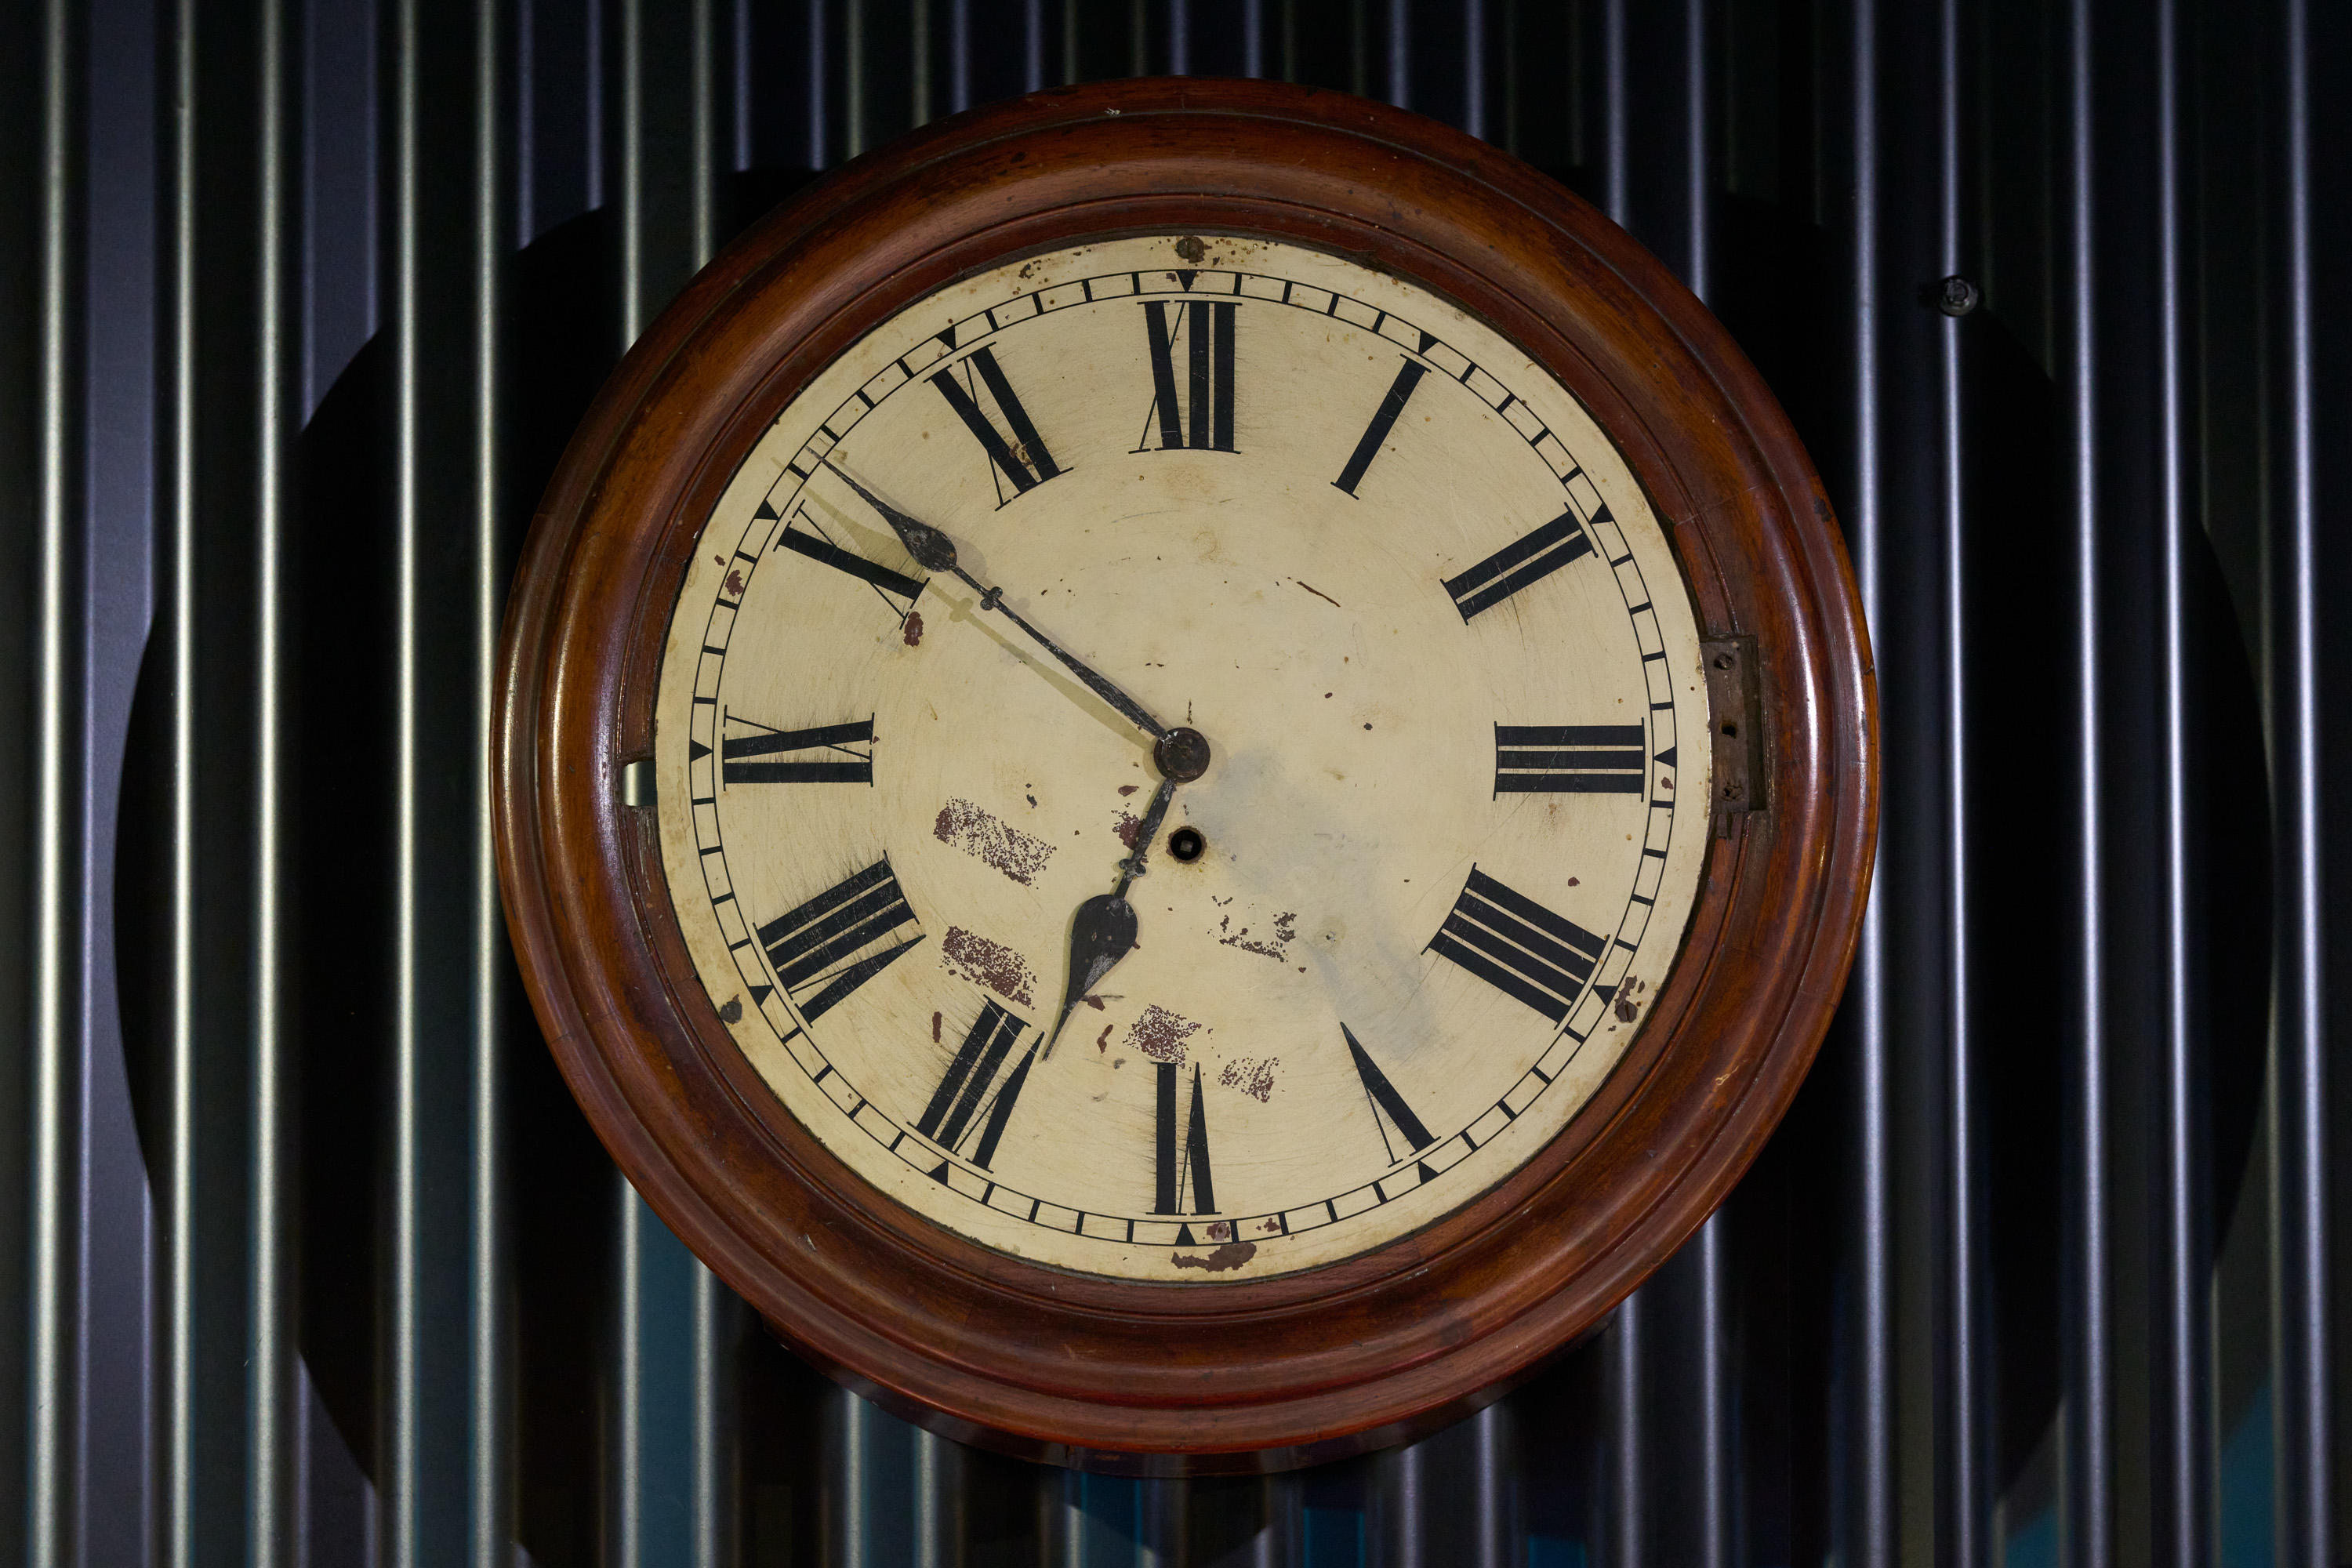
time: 6:51
